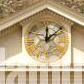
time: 12:07
